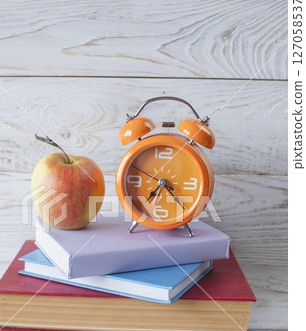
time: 7:22
